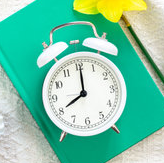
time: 8:00
